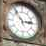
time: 2:53
